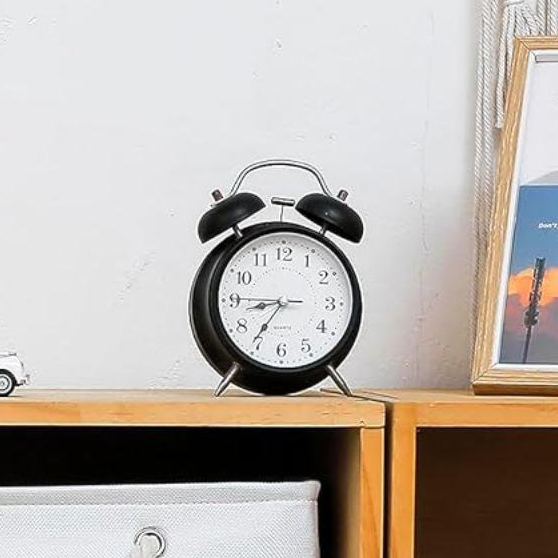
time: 8:35
